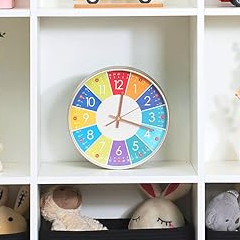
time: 12:18
